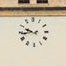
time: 9:43
